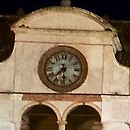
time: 7:29
